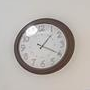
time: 1:19
